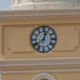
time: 12:38
